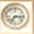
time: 7:15
